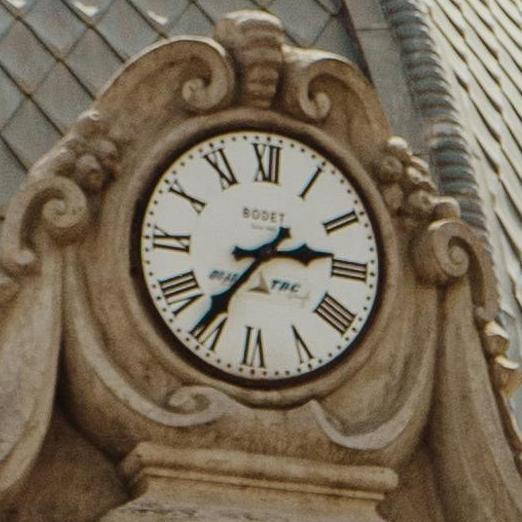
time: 2:36
